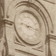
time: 9:17
